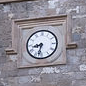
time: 8:32
